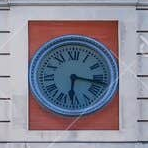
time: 6:17
